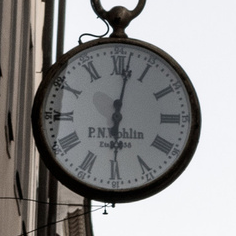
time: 6:01
